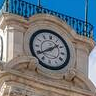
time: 1:39
